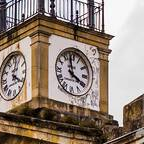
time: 3:58
